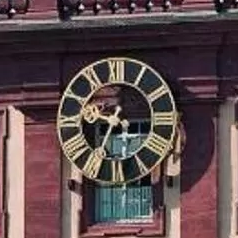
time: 9:34
